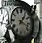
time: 1:18
